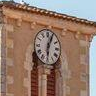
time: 6:03
